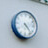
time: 4:22
